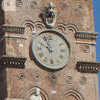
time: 9:57
